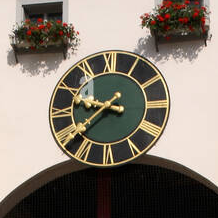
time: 9:38
